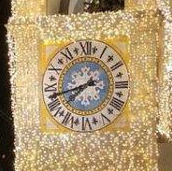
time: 7:42
